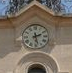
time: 2:27
